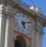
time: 5:11
